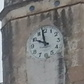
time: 9:58
